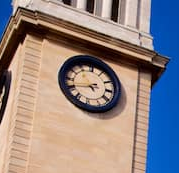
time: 4:41
